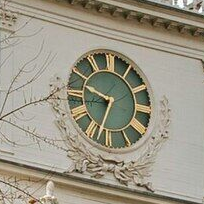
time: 9:33
